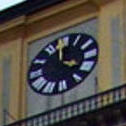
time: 3:58
